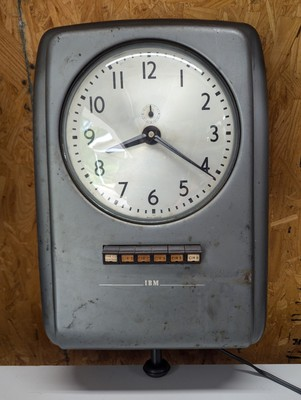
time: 8:20
